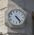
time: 4:23
